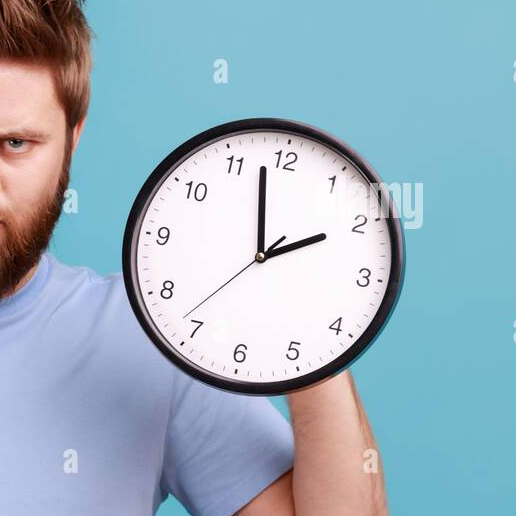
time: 1:57
